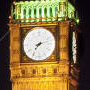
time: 7:12
